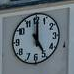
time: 5:00
